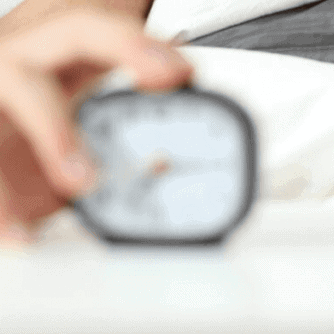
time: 7:14
